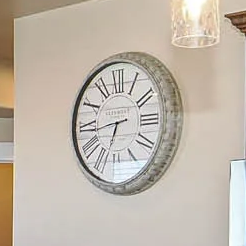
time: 6:43
